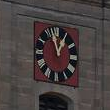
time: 12:57
